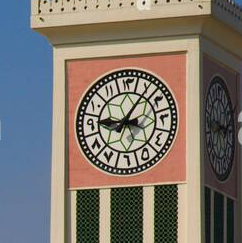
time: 9:06
